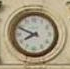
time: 7:48
